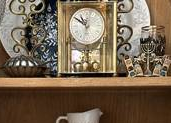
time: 10:50
